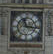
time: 11:16
